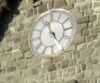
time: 4:57
